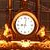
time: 9:01
